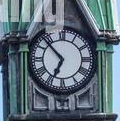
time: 6:52
